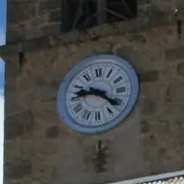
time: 9:21
